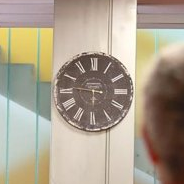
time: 5:46
